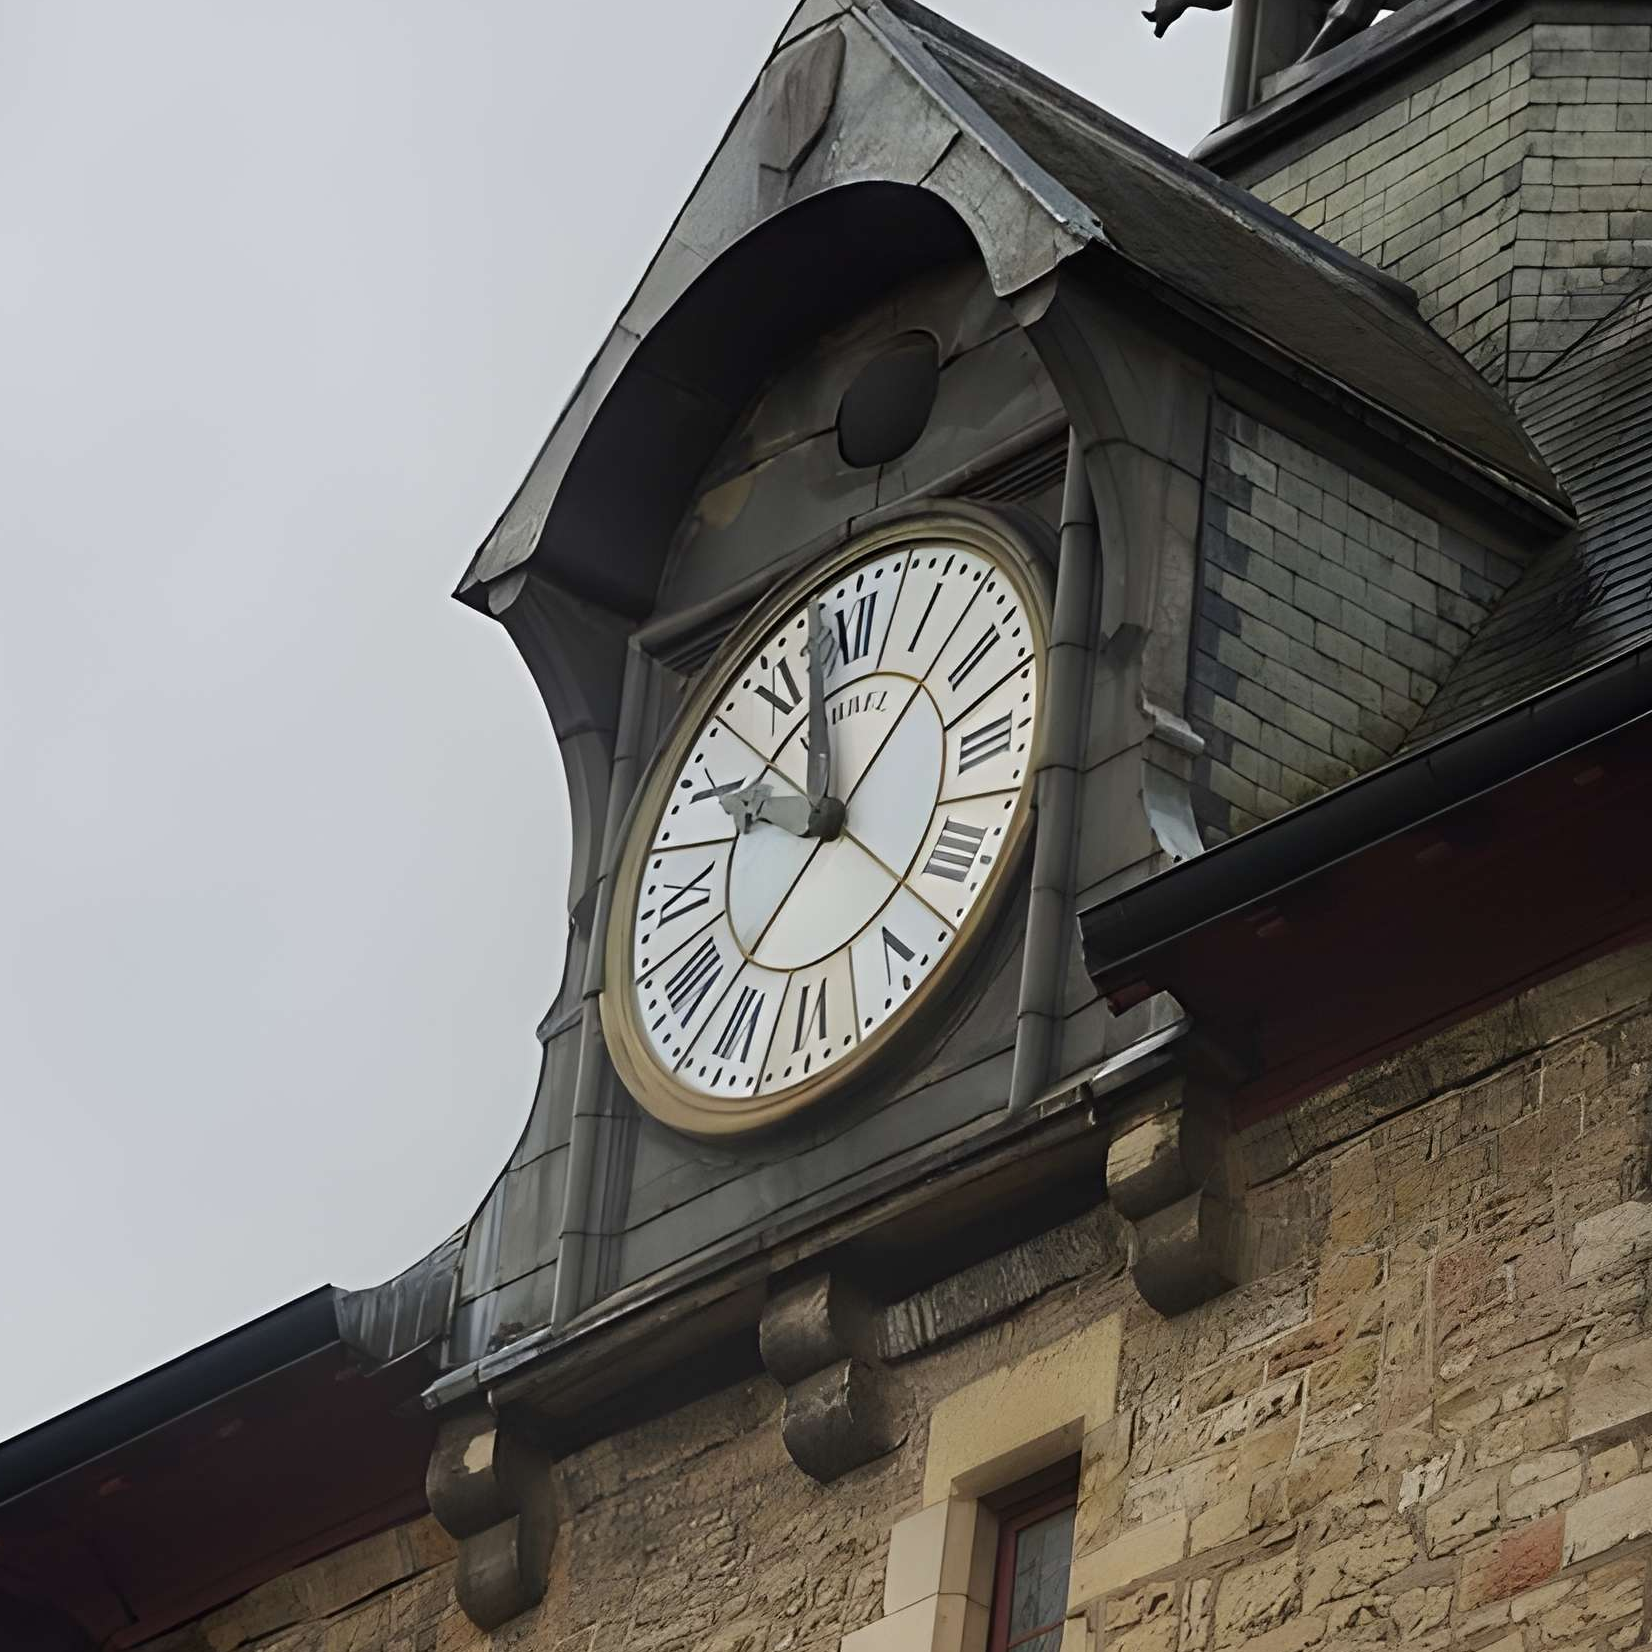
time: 9:57
